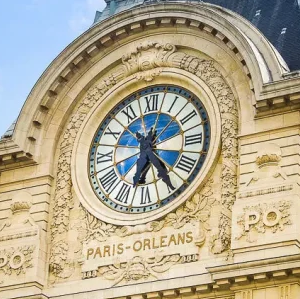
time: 6:24
